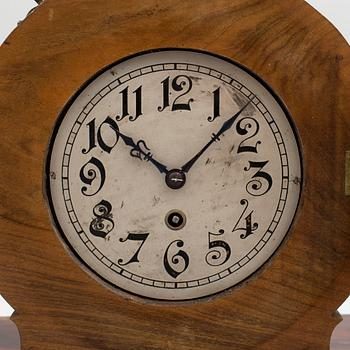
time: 10:07
